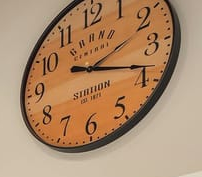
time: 2:18
